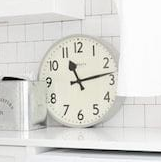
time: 11:13
